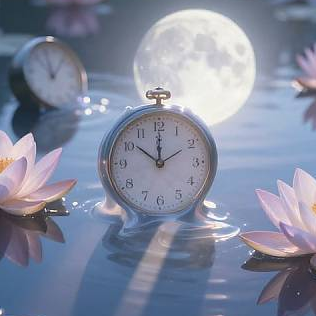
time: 10:00
